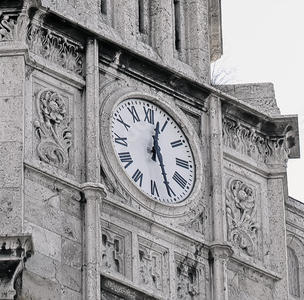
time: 12:26
